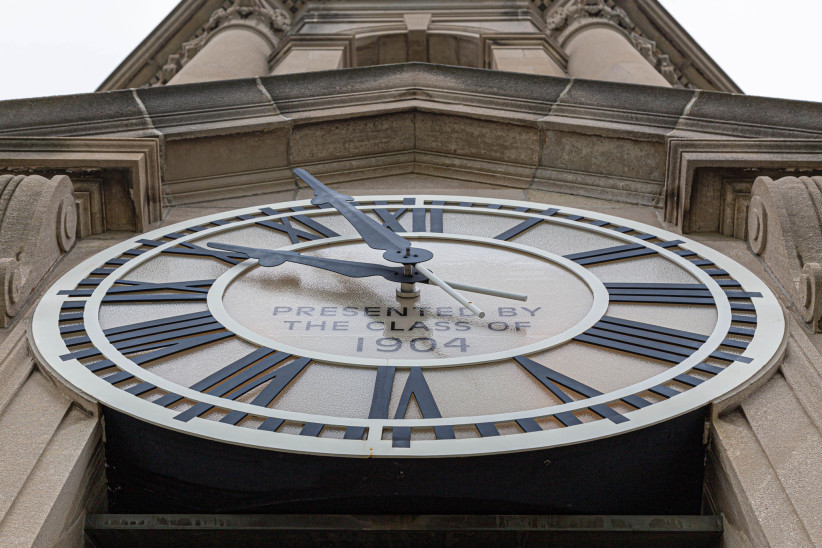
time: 9:57
